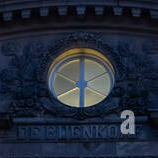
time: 5:59
